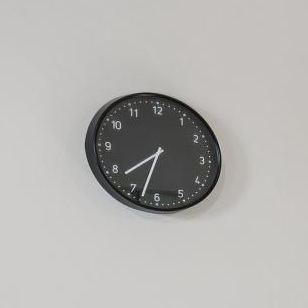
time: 7:32
